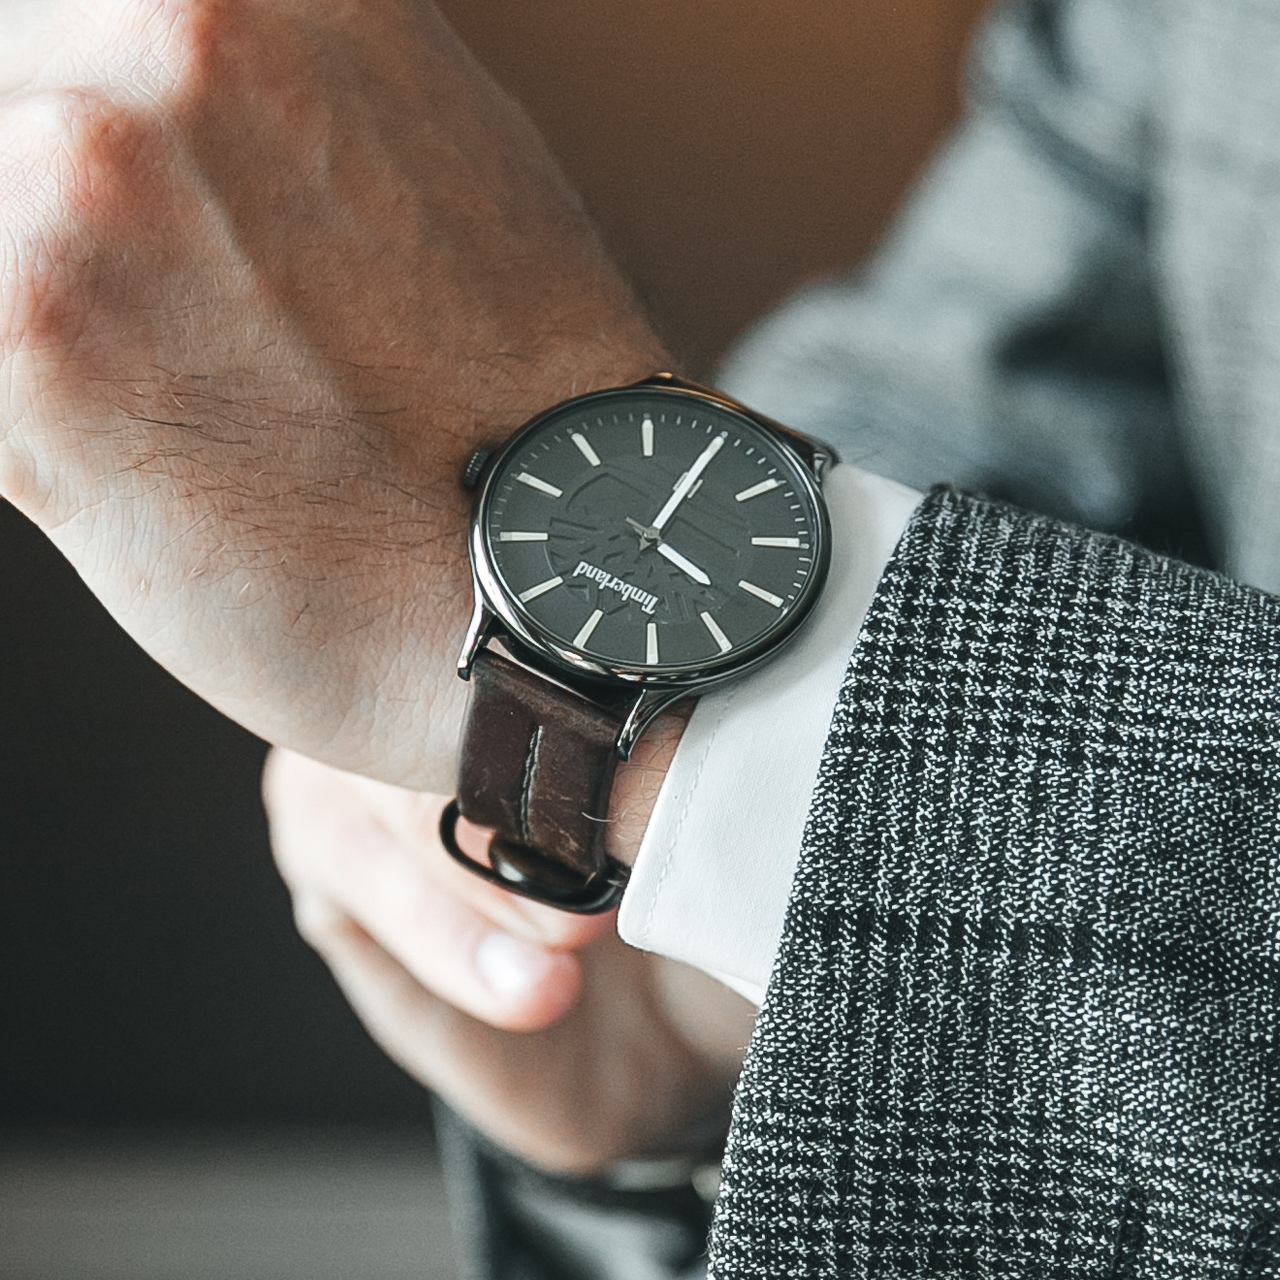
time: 4:04
